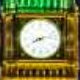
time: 8:12
